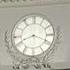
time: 8:18
